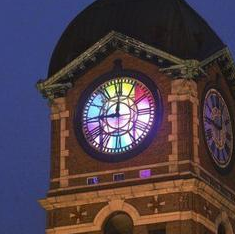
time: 9:01
